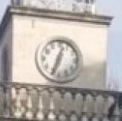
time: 12:33
